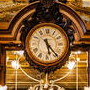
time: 5:23
